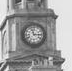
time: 11:14
